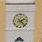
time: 2:23
